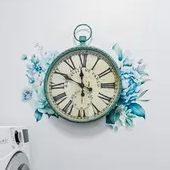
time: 11:49
